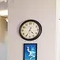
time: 4:34
